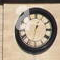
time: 12:32
